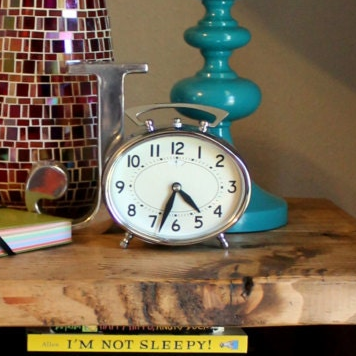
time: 4:33
